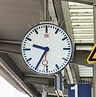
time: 9:34
